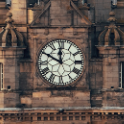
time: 11:50
